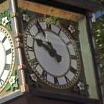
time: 10:49
